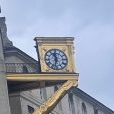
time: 11:32
